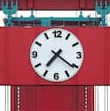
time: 7:20
